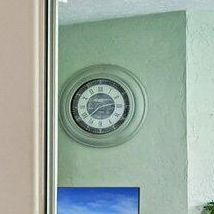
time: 2:37
